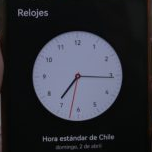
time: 7:15
